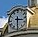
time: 3:30
